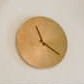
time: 11:21
